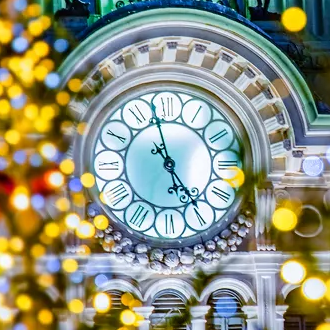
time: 4:58
